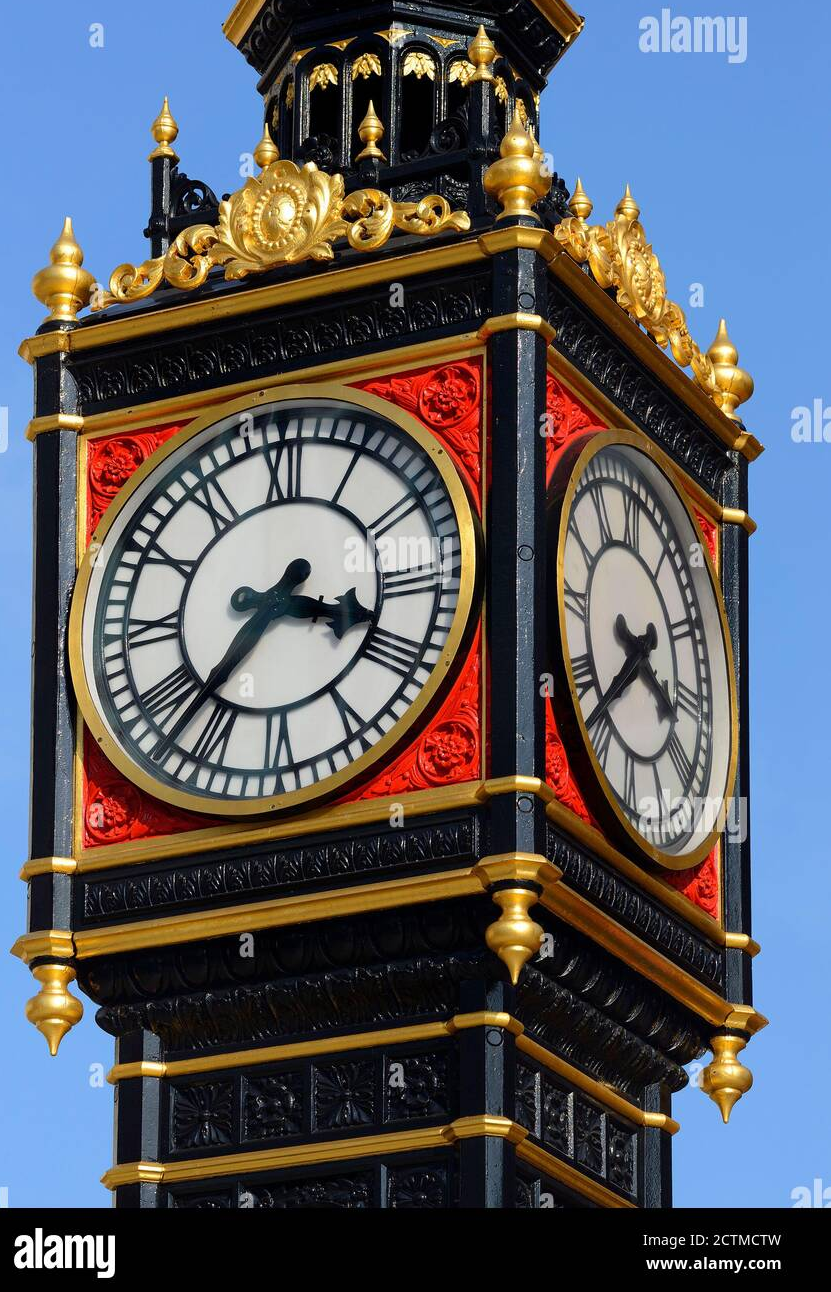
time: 3:37
